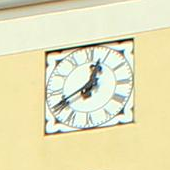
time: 12:40
